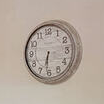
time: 6:31
